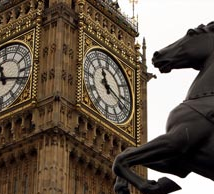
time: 11:17
